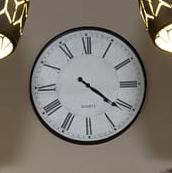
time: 4:20
